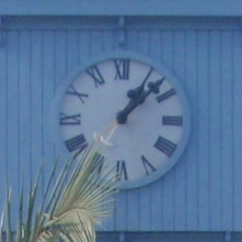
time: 1:07
